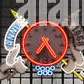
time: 7:25
